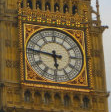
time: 5:46
